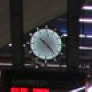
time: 10:23
